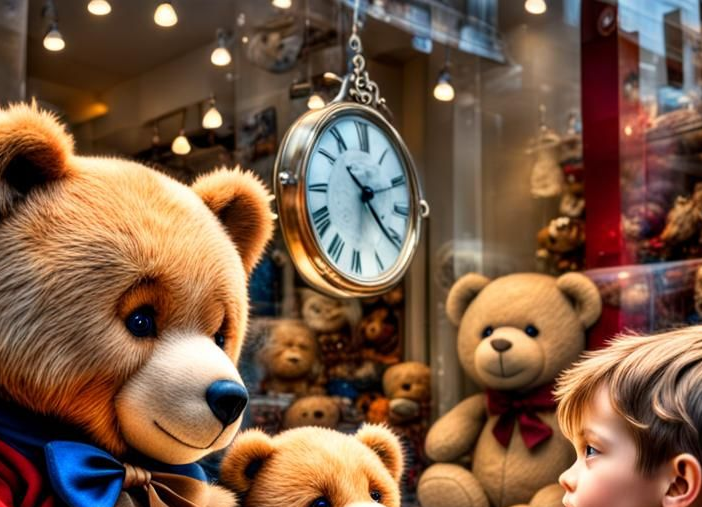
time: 2:21
